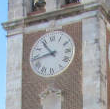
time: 10:43
